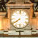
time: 7:39
